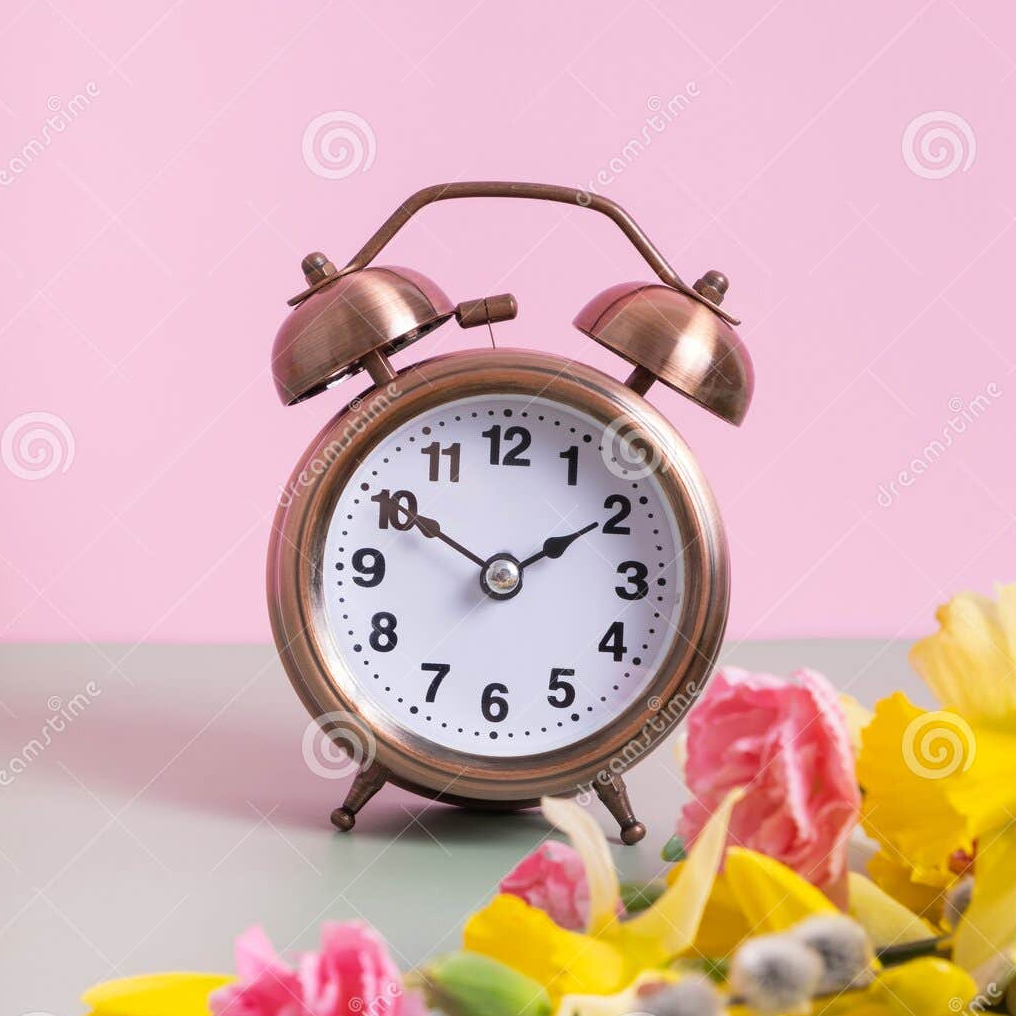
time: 1:50
